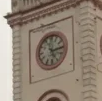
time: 5:14
